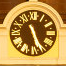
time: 5:26
